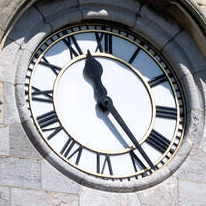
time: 11:23
